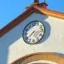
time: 7:38
